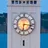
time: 6:16
